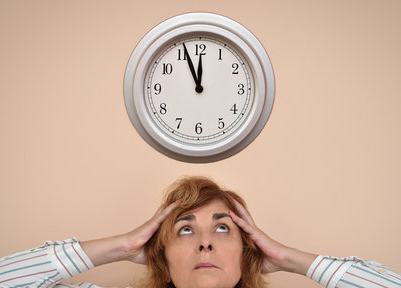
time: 11:56
